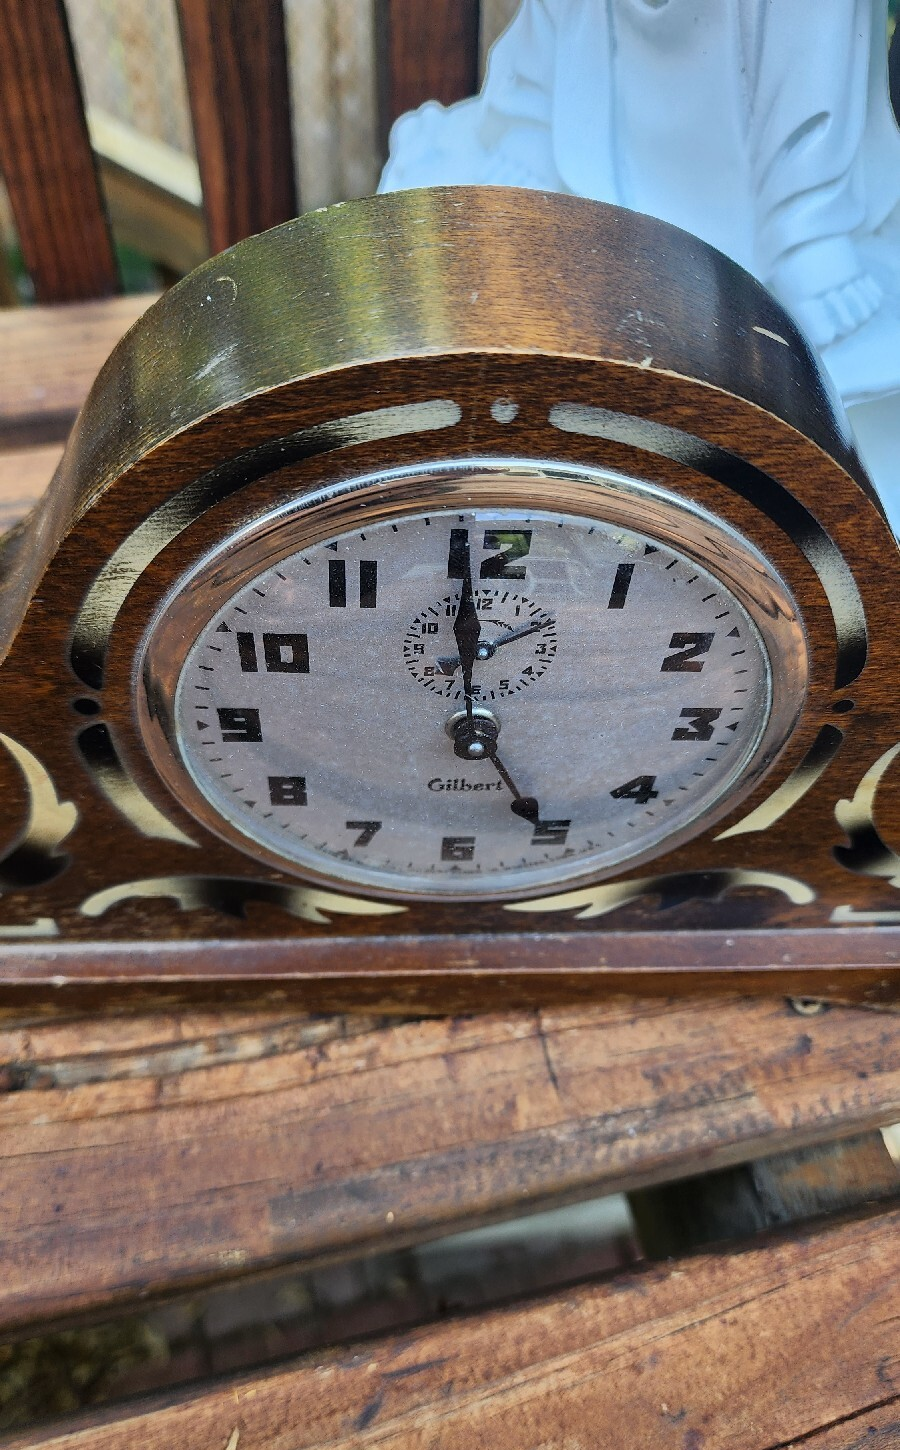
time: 4:59
